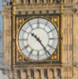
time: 10:23
